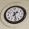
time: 7:28
